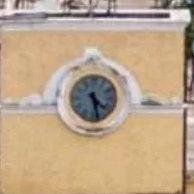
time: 4:28
